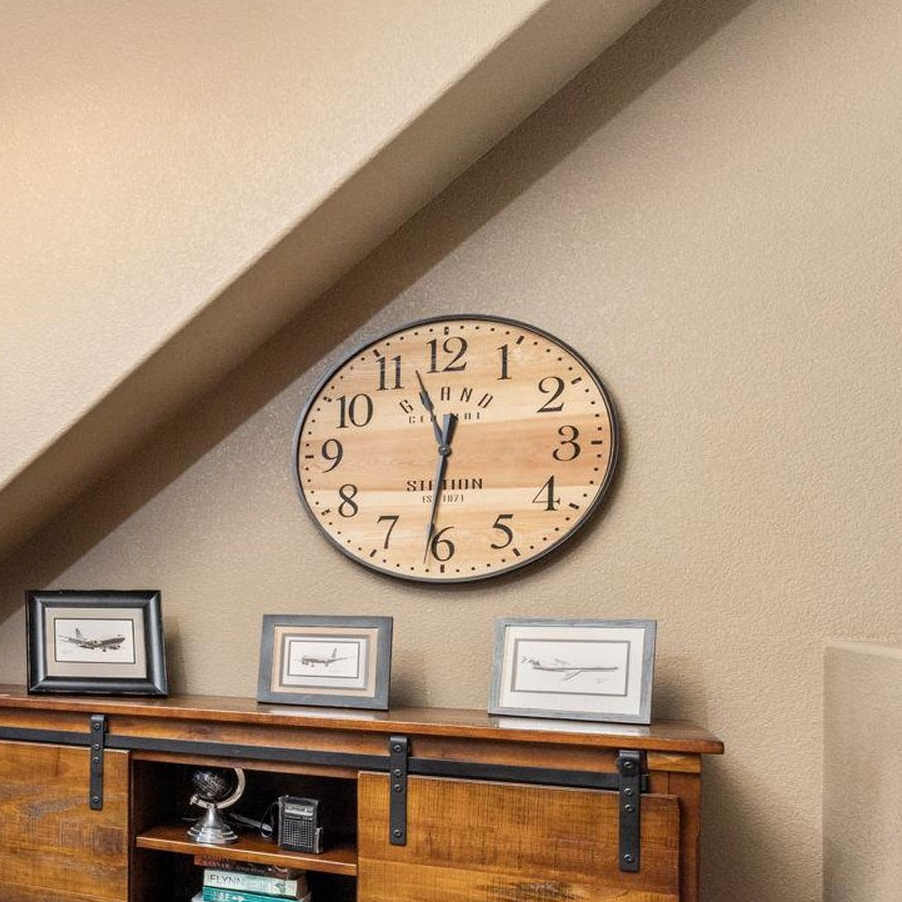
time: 12:31
